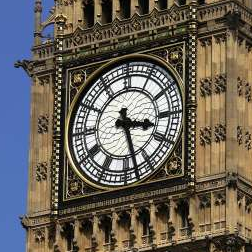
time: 3:27
